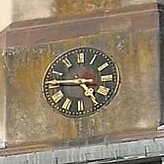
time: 4:45
